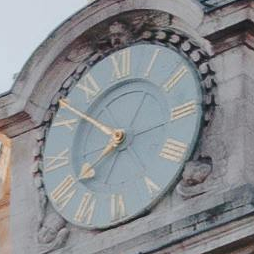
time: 7:51
